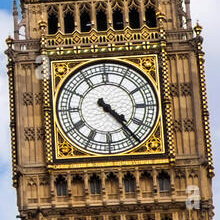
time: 4:23
